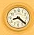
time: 8:21
